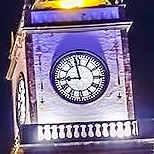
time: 8:58
